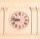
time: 8:47
